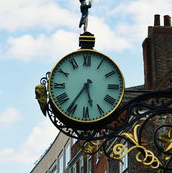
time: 5:35
